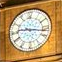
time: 9:16
